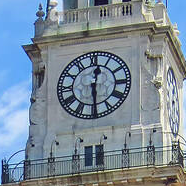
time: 12:29
